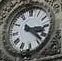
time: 3:22
